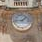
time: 1:43
